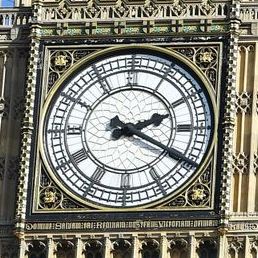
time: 2:19
